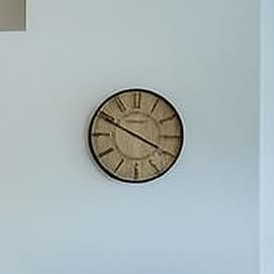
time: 3:49
